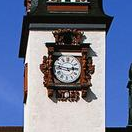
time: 2:46
